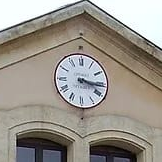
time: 3:16
